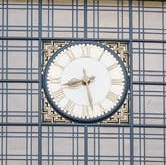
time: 8:27
